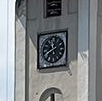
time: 11:40
